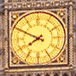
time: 7:49
